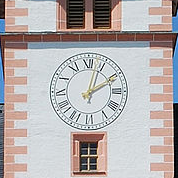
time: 2:02
